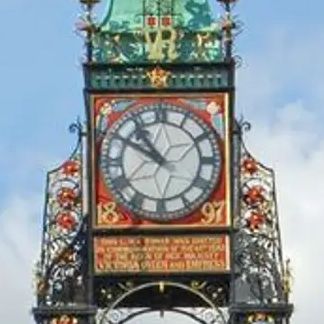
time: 10:50
